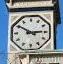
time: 2:50
